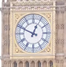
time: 12:49
